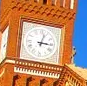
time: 3:02
